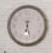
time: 6:27
